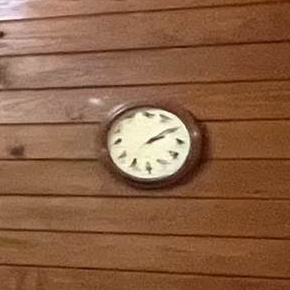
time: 2:09
